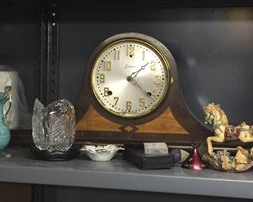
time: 4:08
